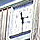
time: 11:29
